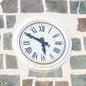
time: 5:49
